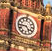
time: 4:44
